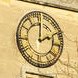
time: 2:00
